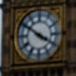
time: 3:50
